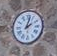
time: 2:02
